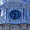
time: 10:32
